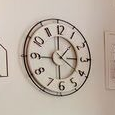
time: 1:20
